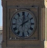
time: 2:01
